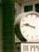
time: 9:47
